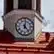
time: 12:23
